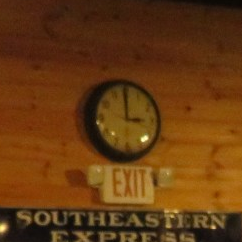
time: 2:59
